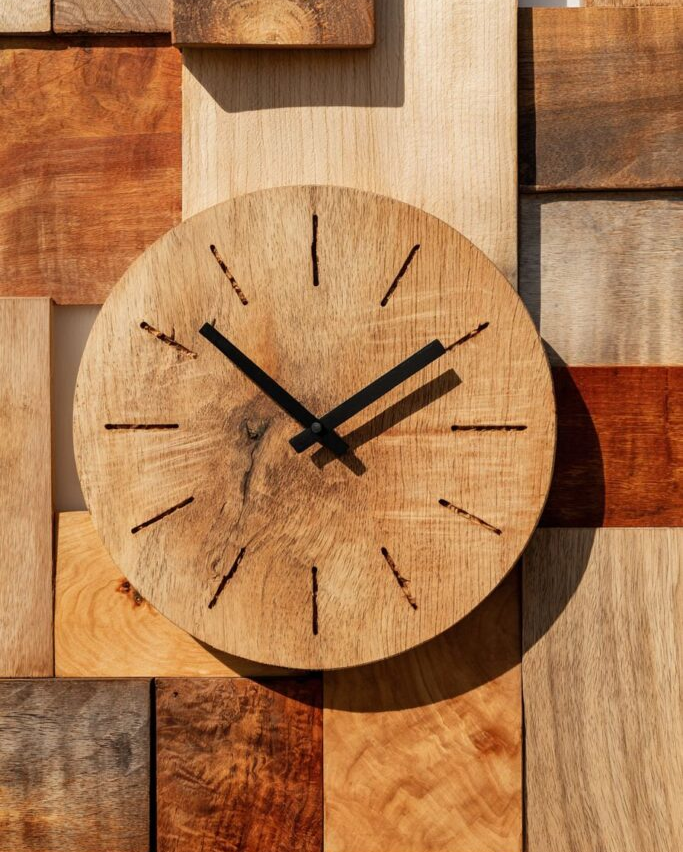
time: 1:51
